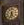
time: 5:33
